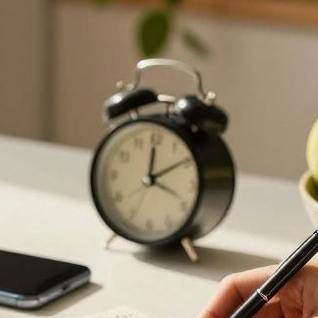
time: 12:09
